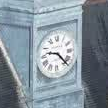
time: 9:22
